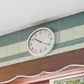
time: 10:20
